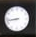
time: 8:43
